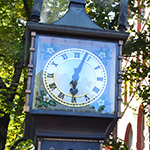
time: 6:03
